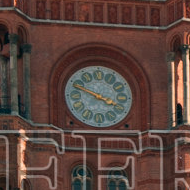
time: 3:48
